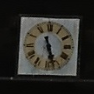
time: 11:27
